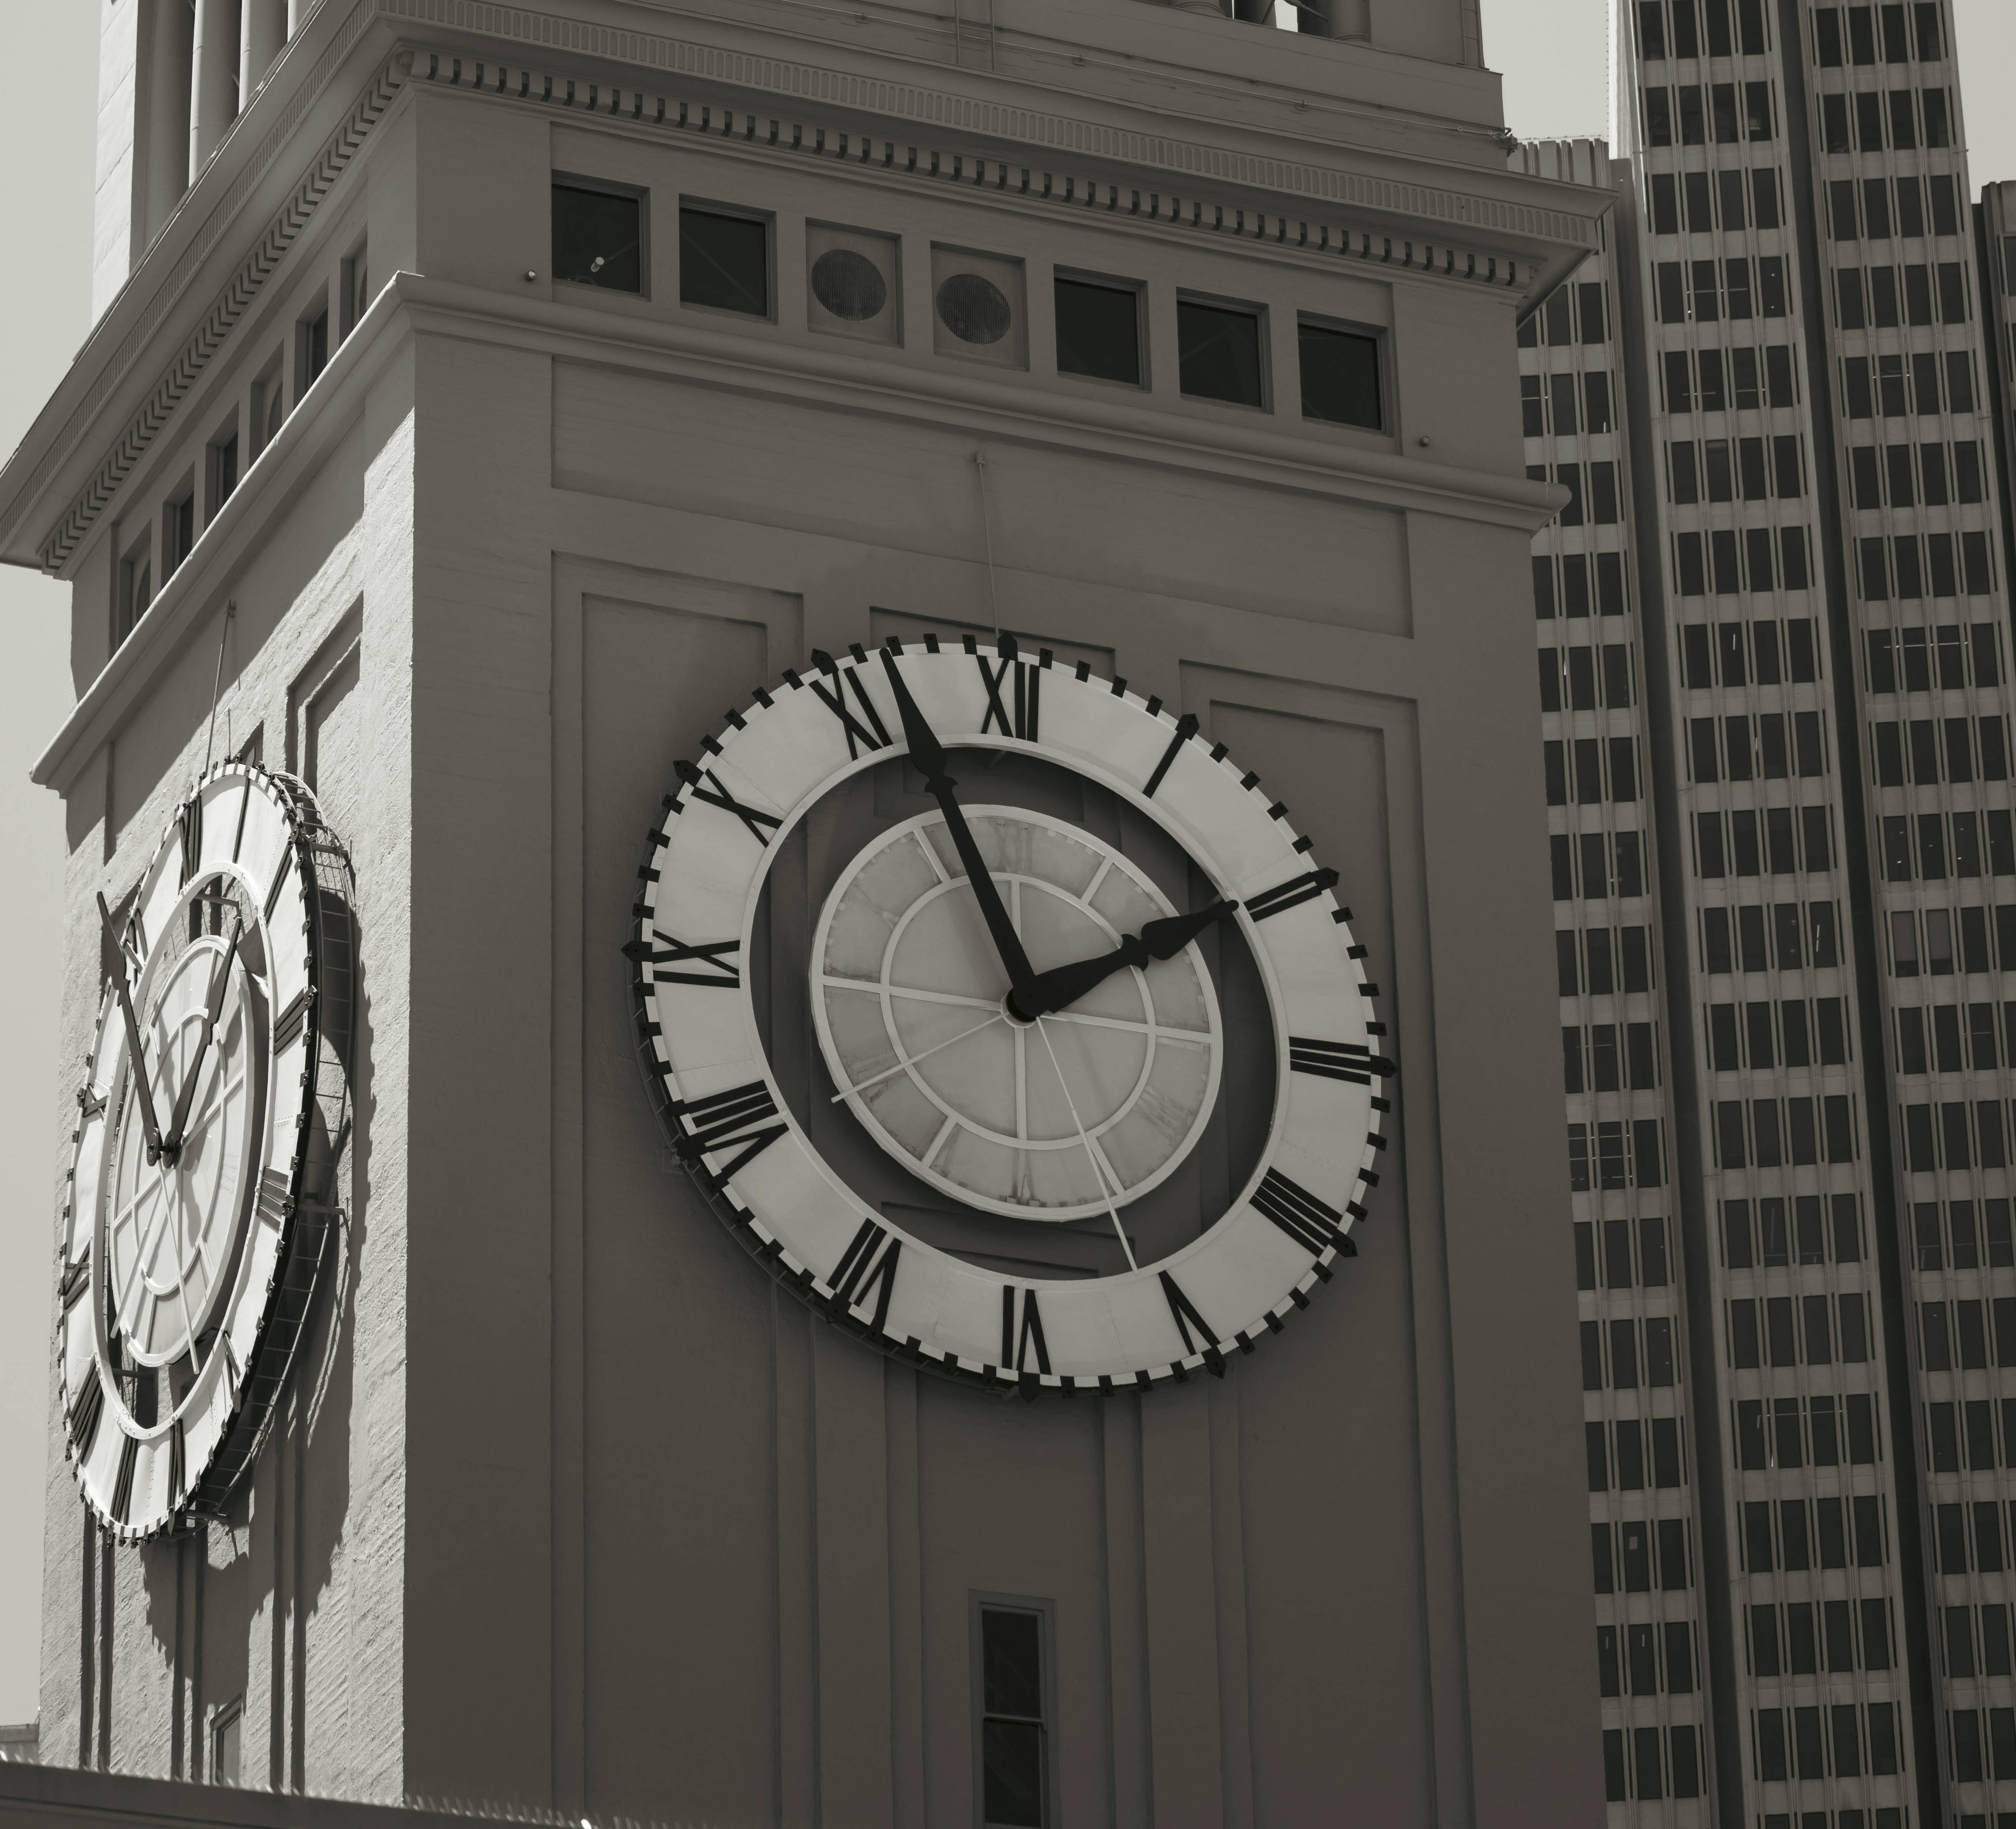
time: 1:56
